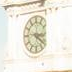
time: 3:21
